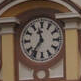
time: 11:36
